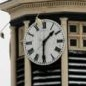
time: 1:30
